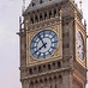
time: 7:55
